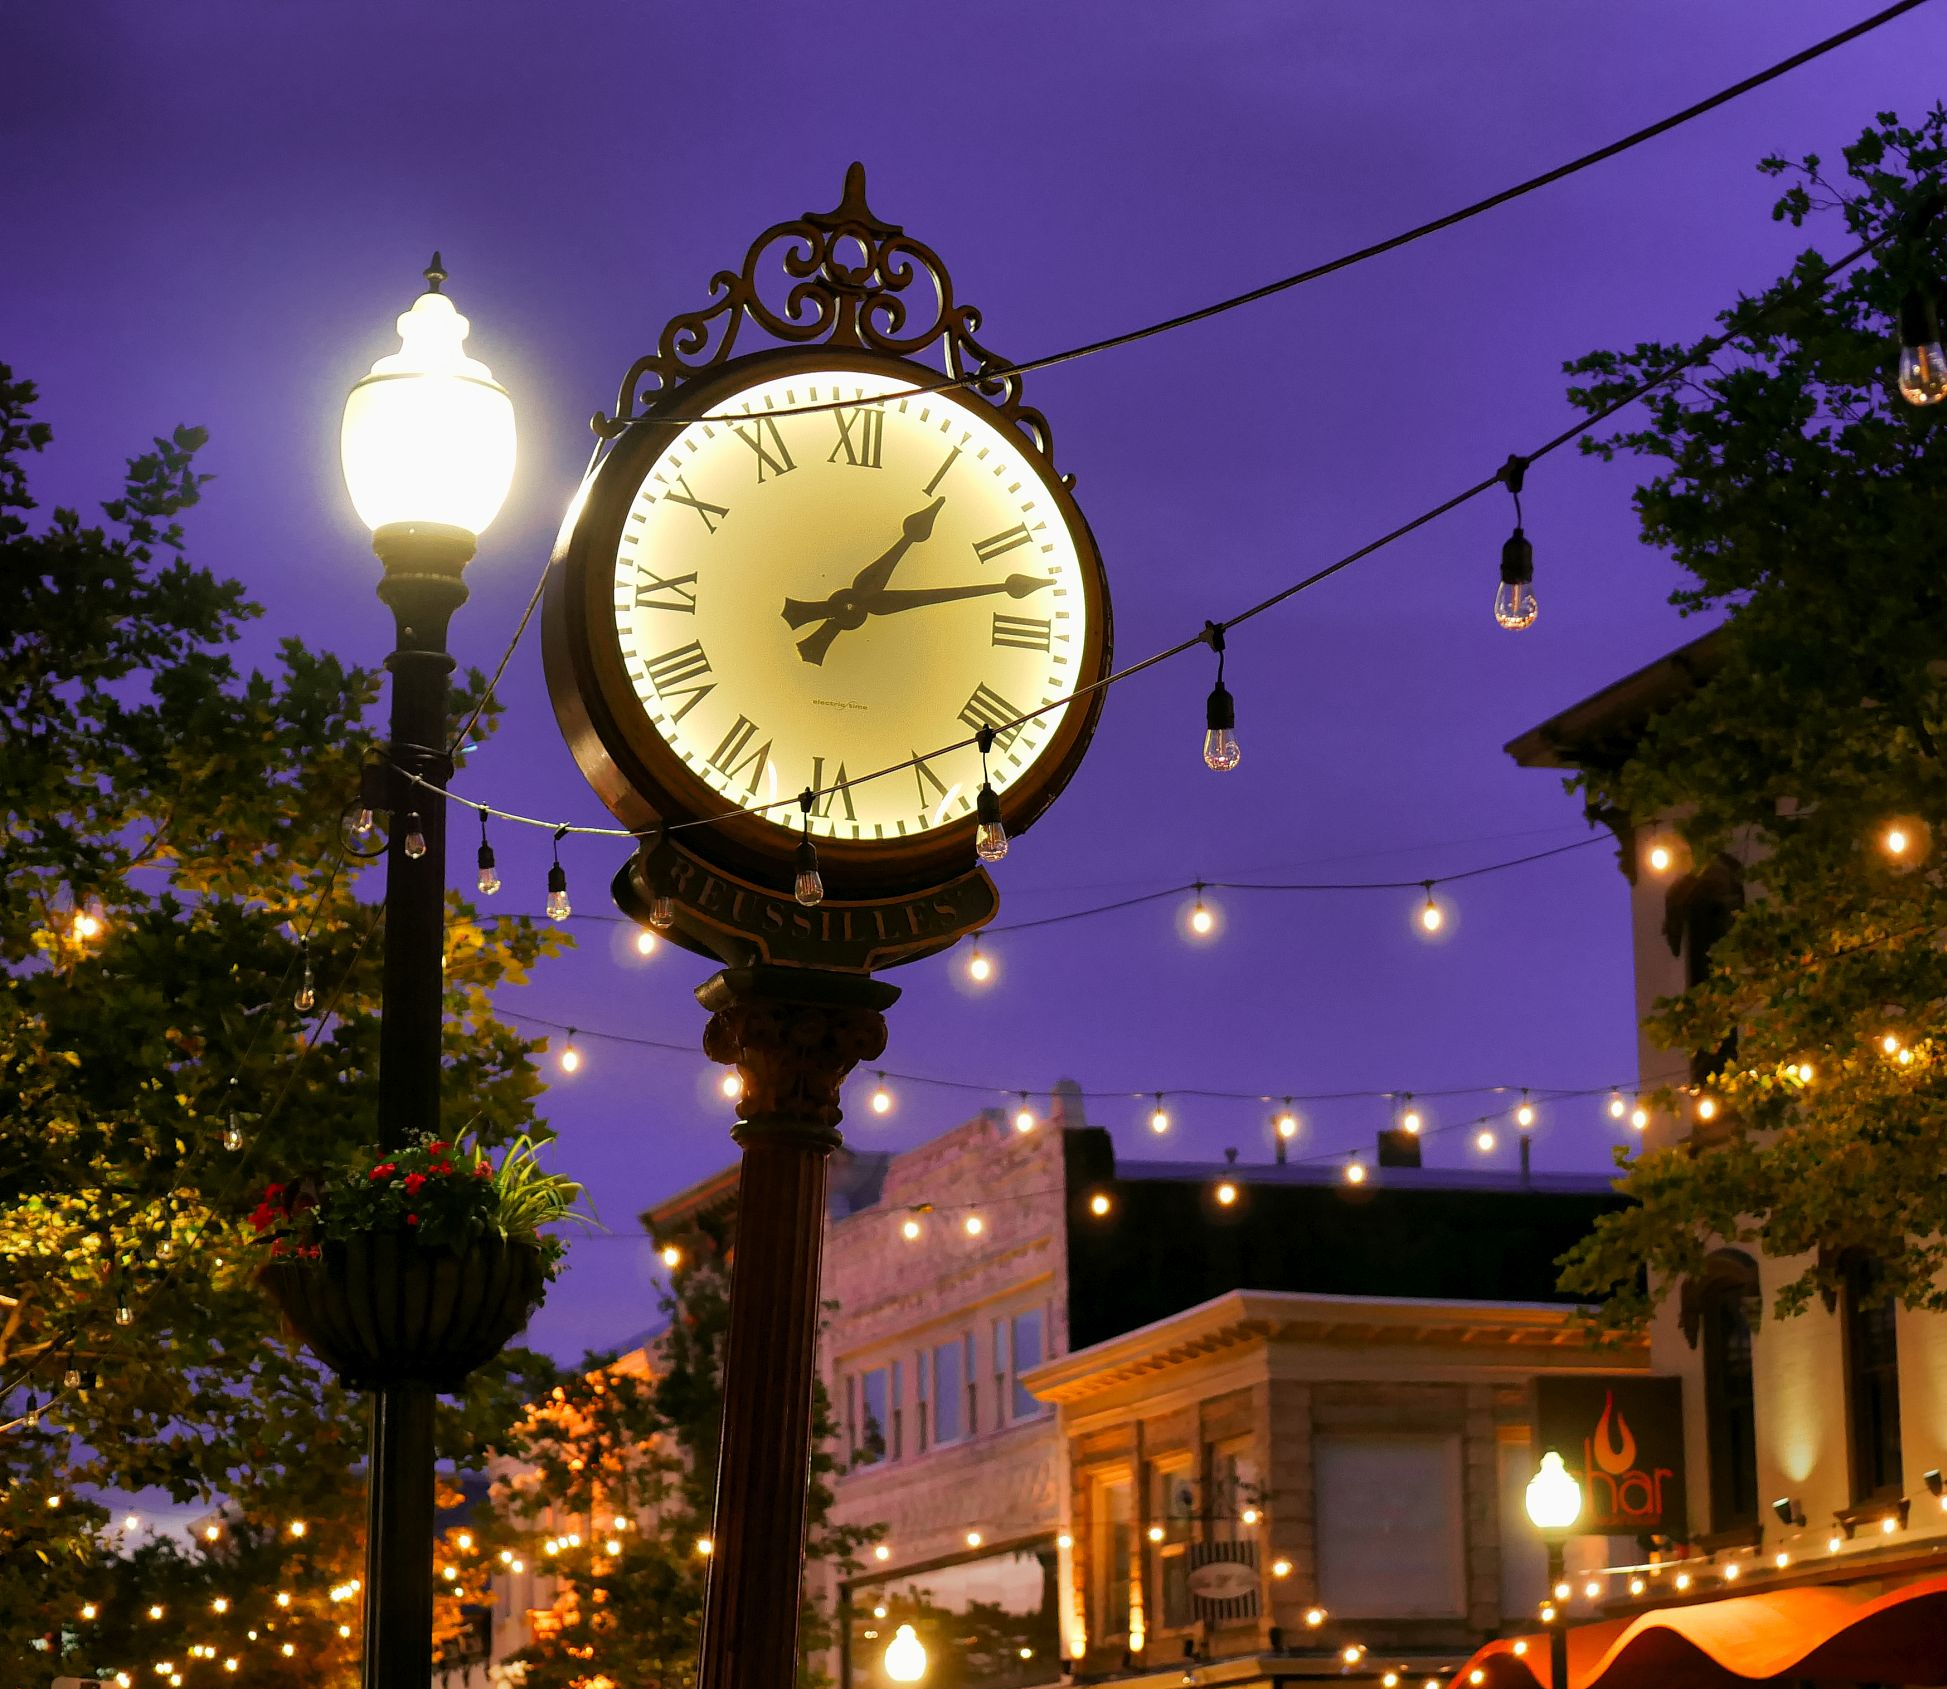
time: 1:12
